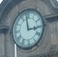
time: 2:58
